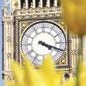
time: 4:18
